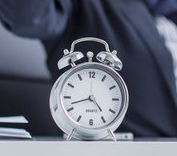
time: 4:42
